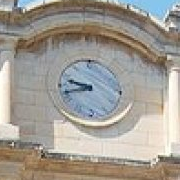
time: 9:42
